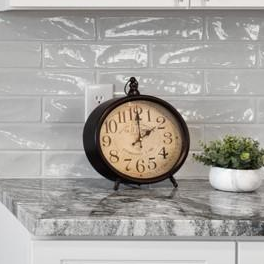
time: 2:00
